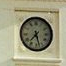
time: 7:27
